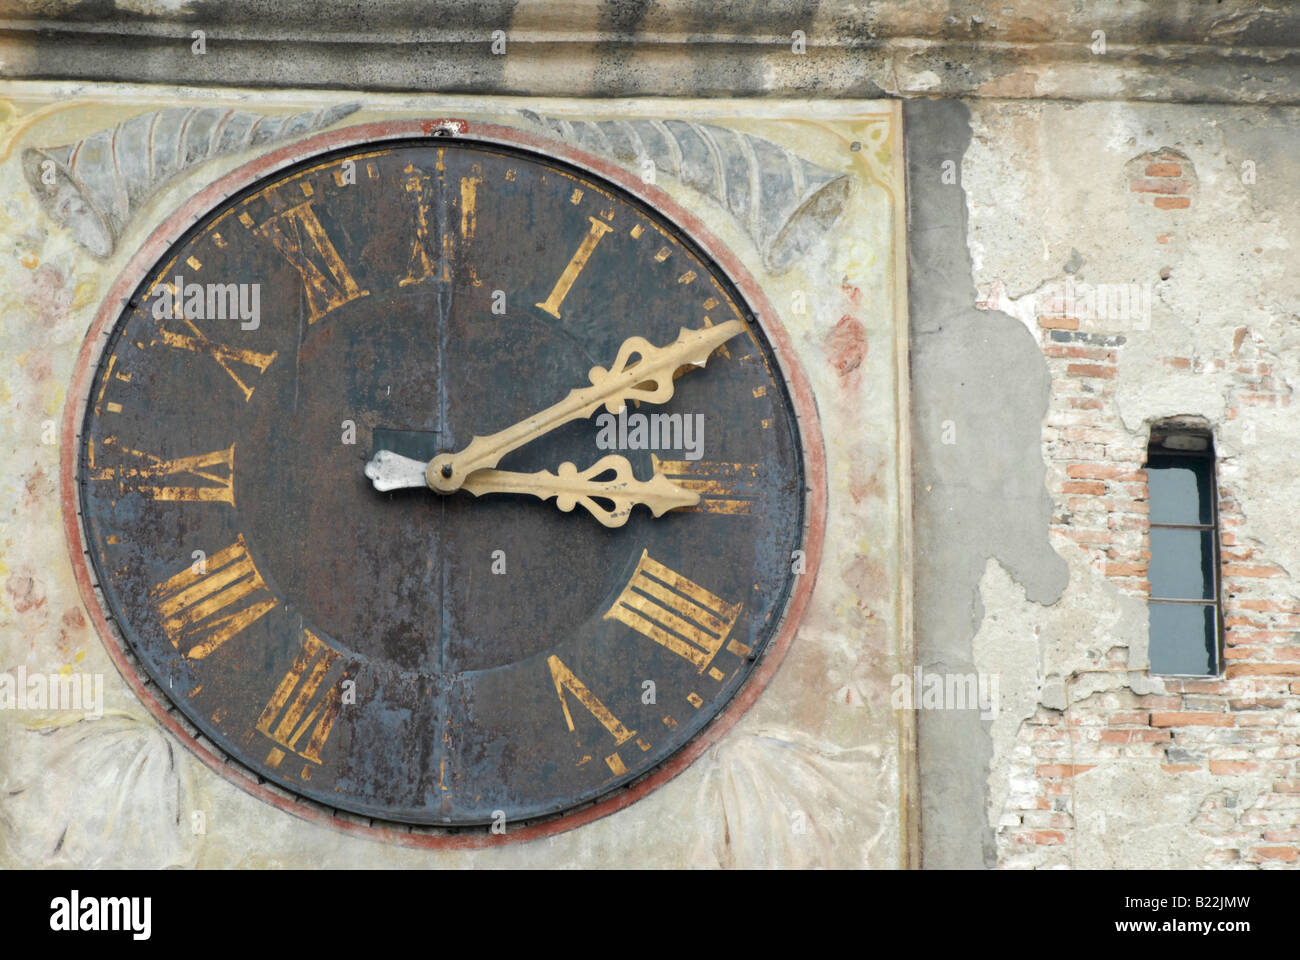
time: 3:09
